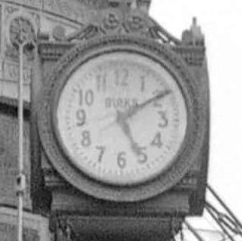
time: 5:09
